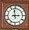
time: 2:58
